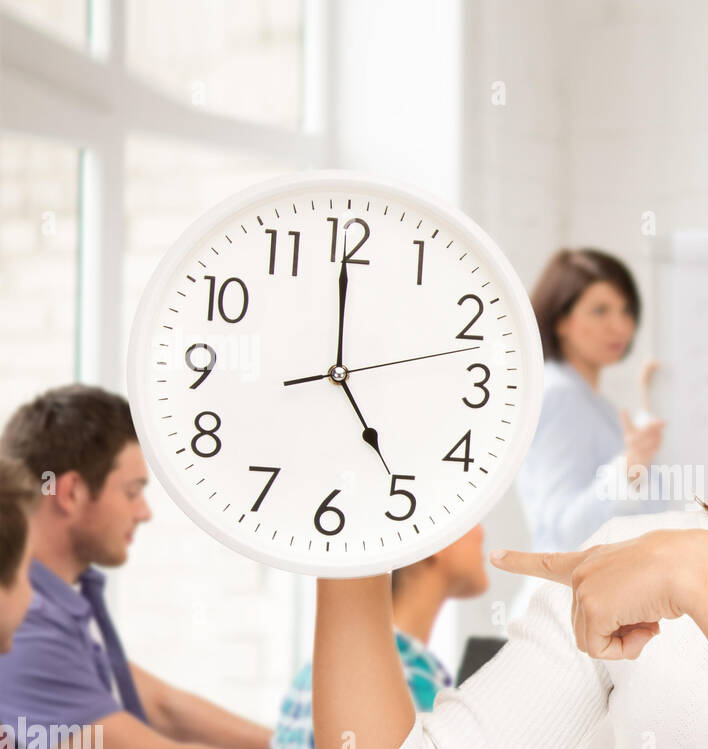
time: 4:59
